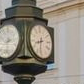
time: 8:32
